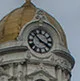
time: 3:52
